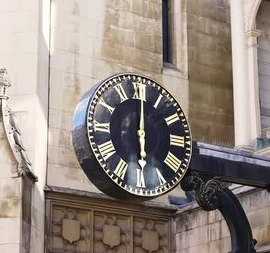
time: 6:00
